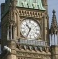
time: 10:34
